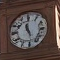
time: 10:58
